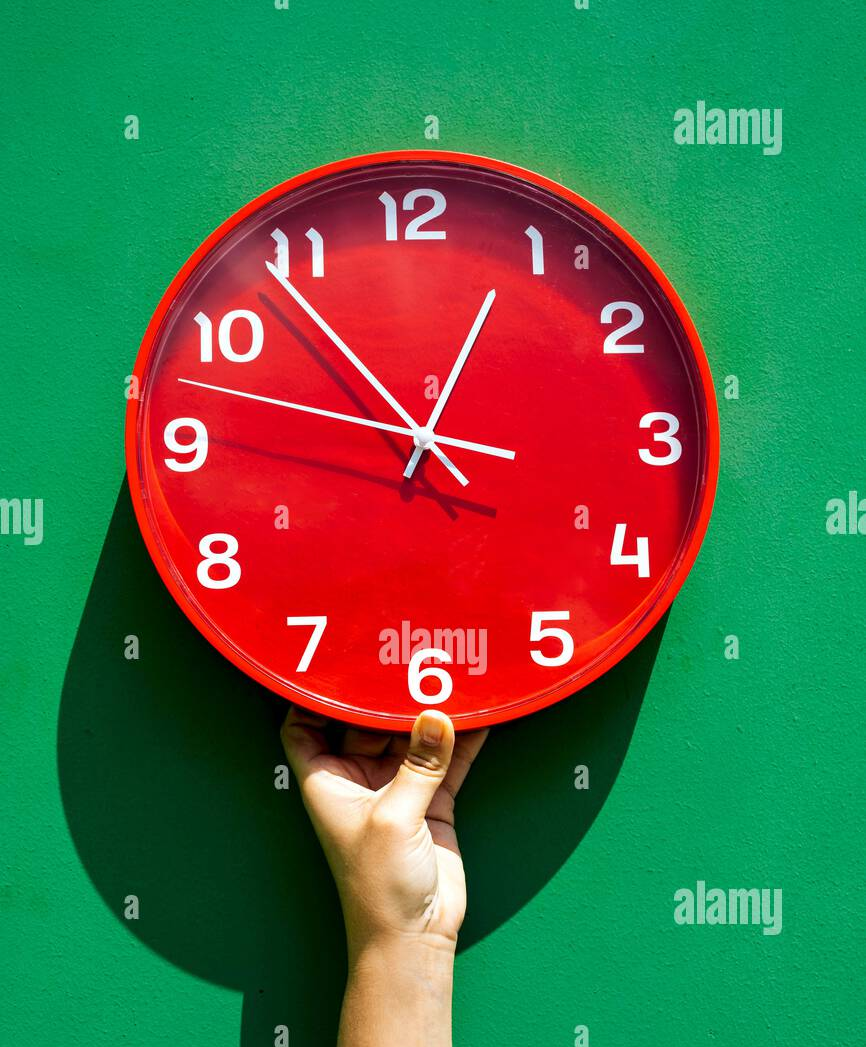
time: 12:53
